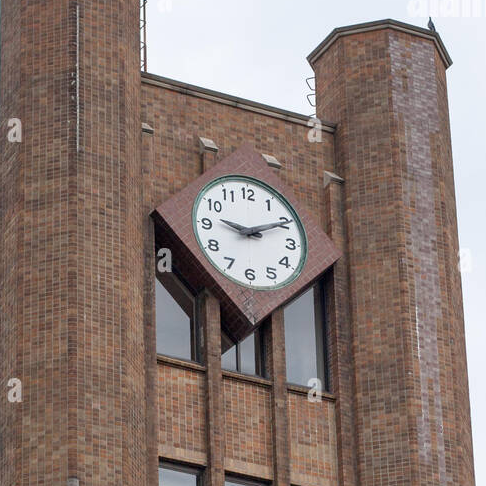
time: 9:10
